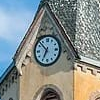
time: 6:52
